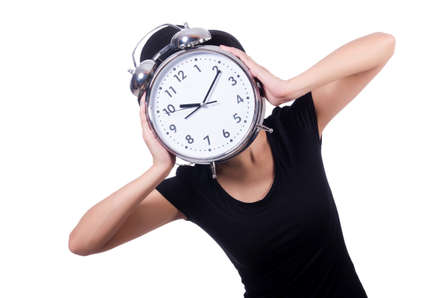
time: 9:06
